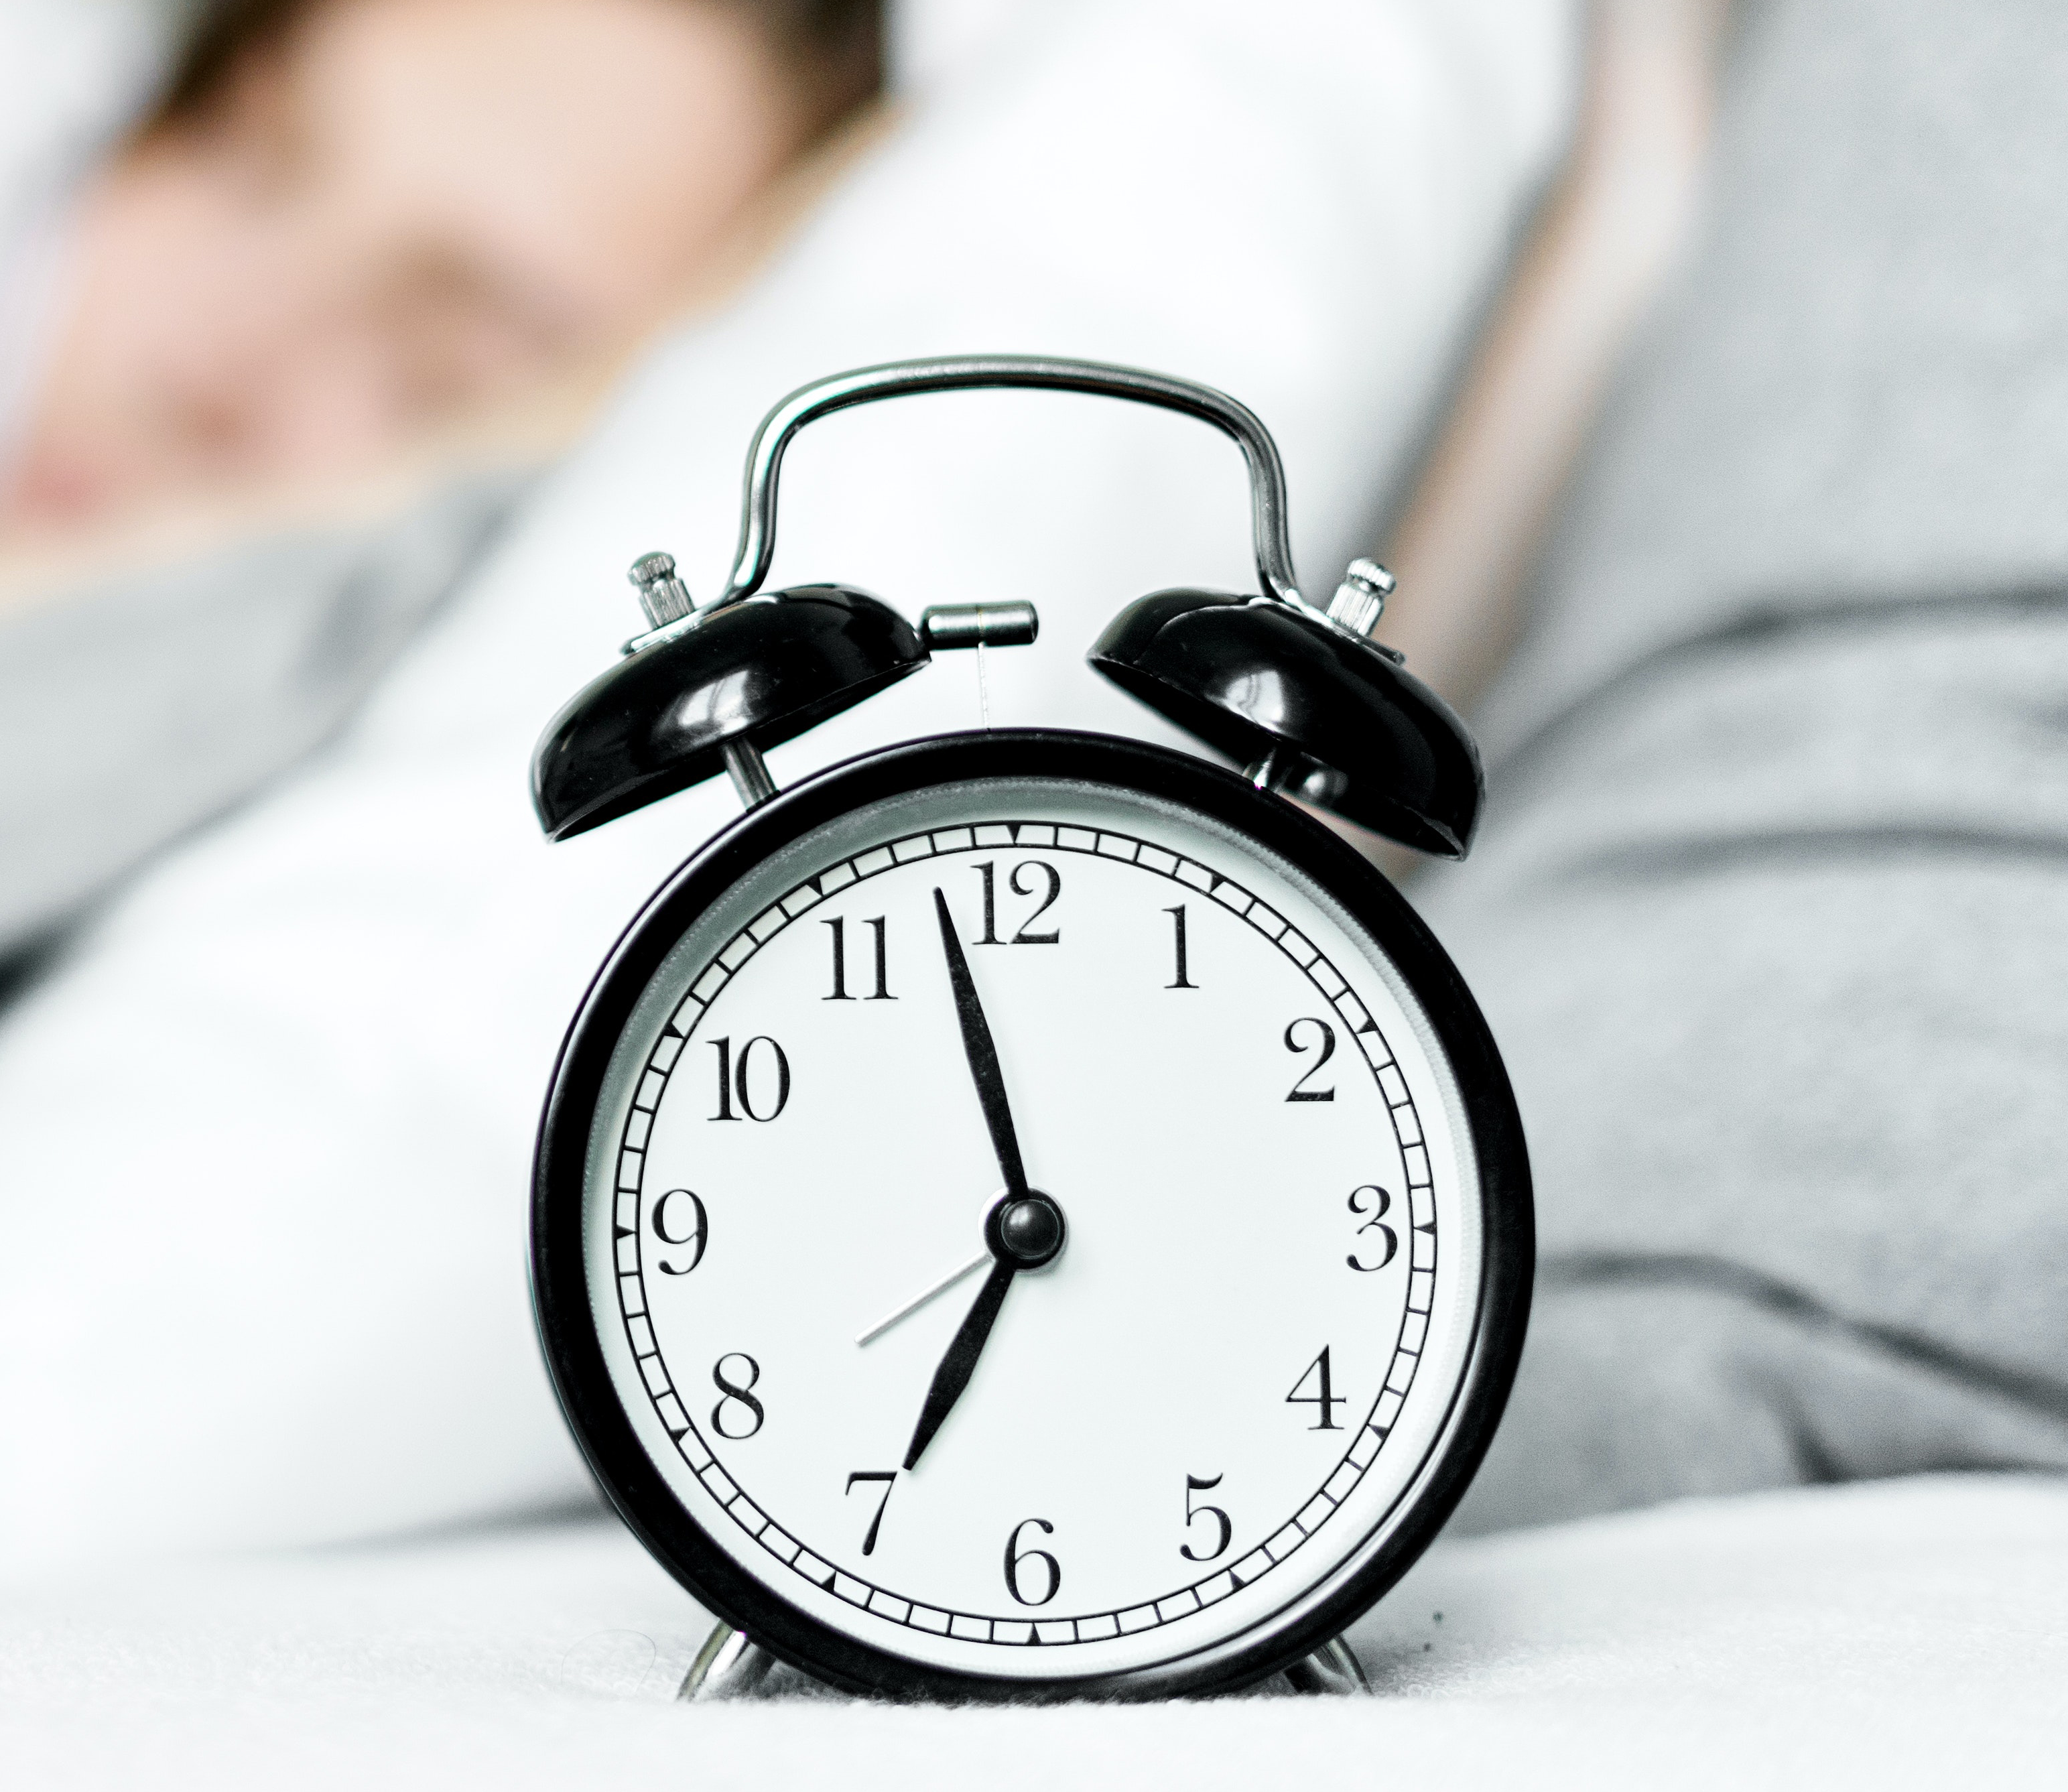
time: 6:58
